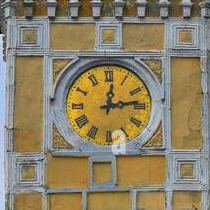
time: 12:13
